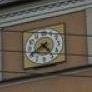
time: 4:40
